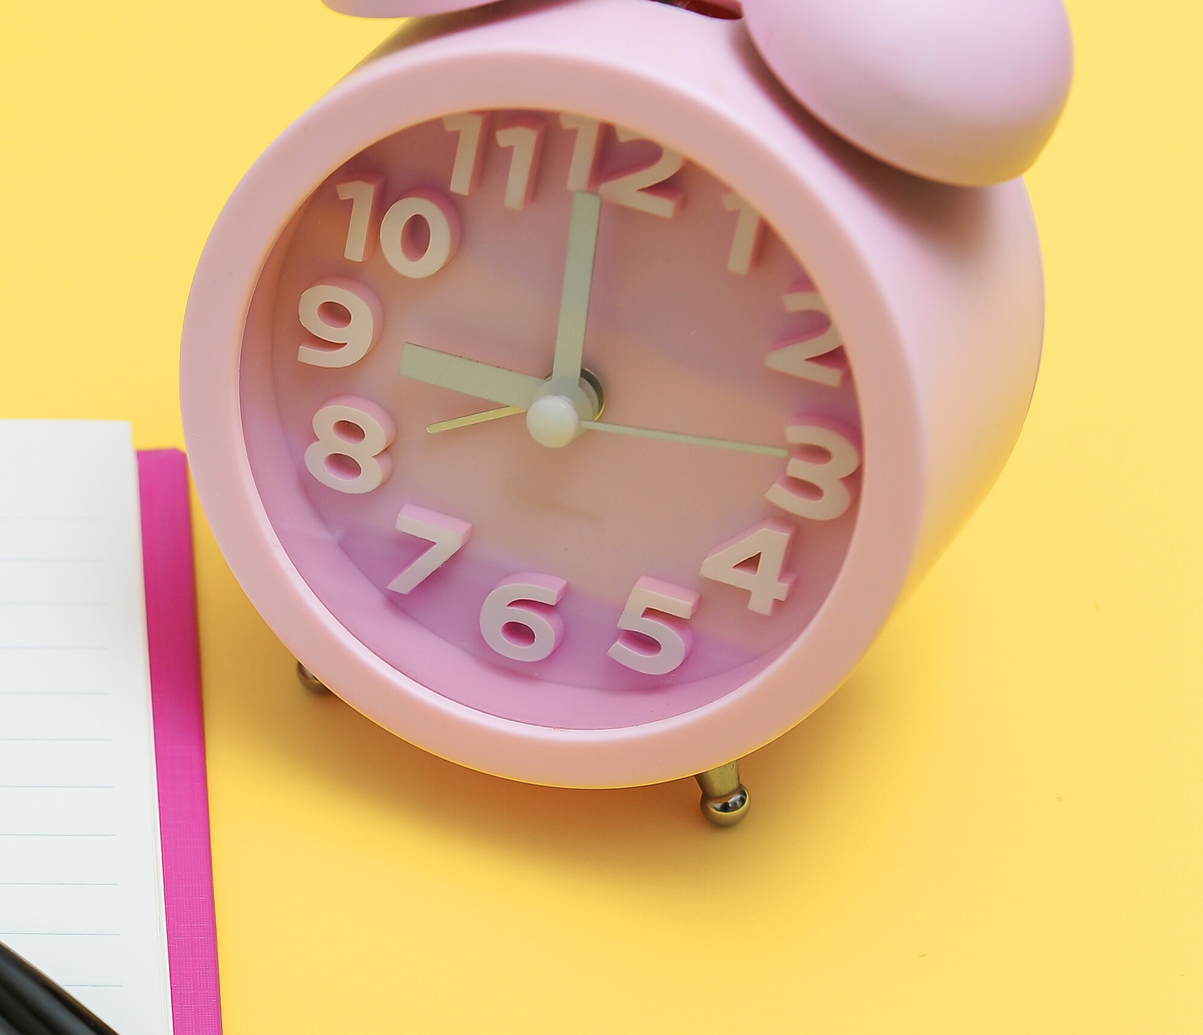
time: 8:58
